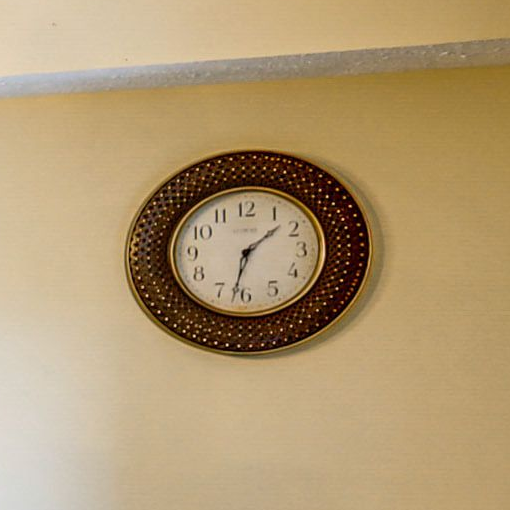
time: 1:32
